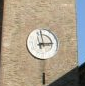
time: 2:58
